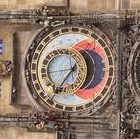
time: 1:36
